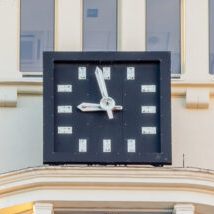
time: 8:57
